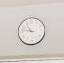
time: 10:47
